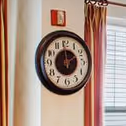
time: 1:59
